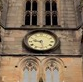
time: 9:28
